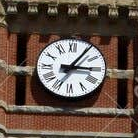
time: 3:05
